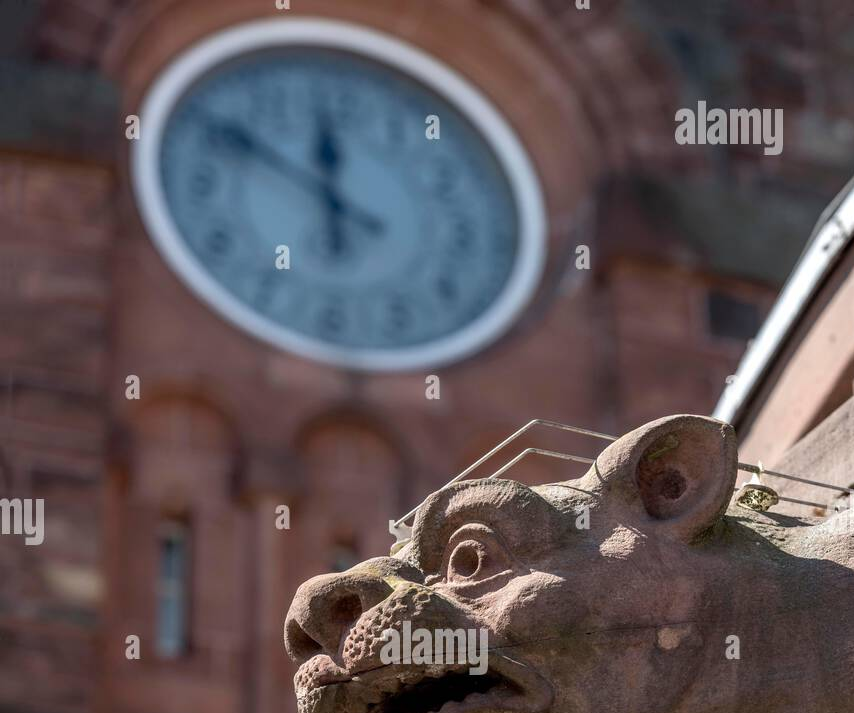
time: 11:50
